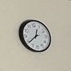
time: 12:39
